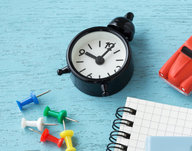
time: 10:07
